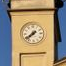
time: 7:38
